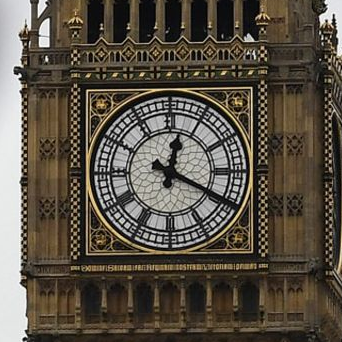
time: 12:19
